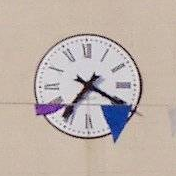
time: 7:19
